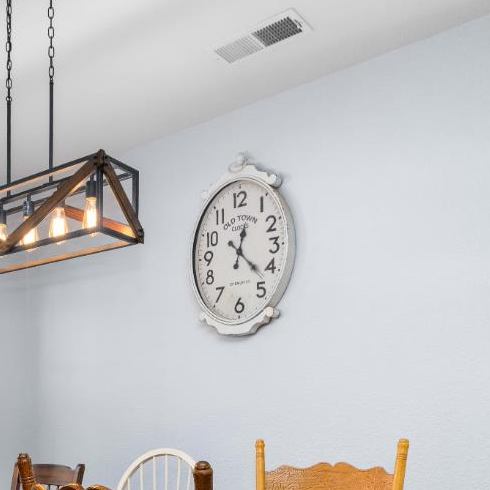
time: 12:22
